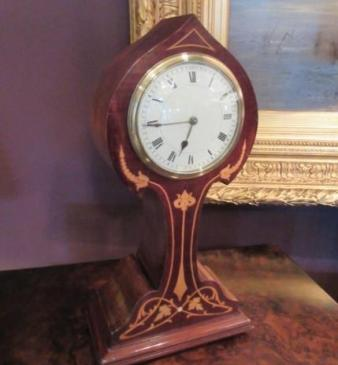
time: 6:43
